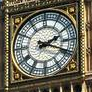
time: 2:18
